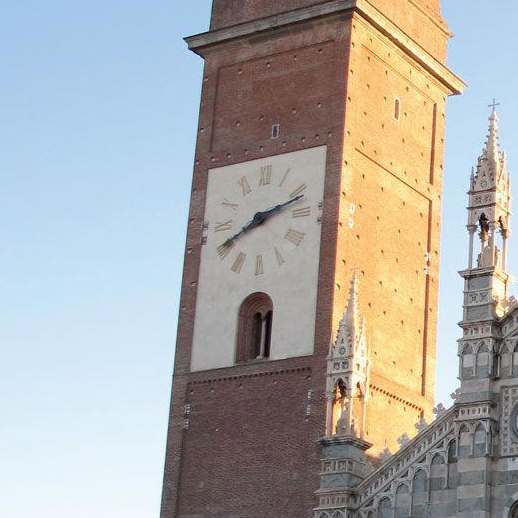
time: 8:12
